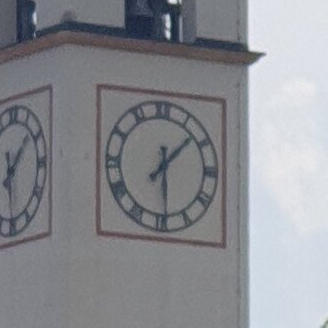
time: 1:29
